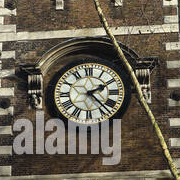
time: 2:22
